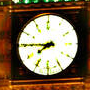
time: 7:45
